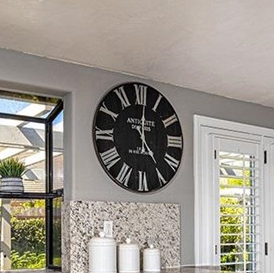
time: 5:01
